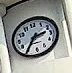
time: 2:35
